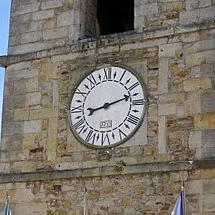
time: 8:11
